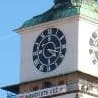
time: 4:16
